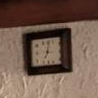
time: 7:02
